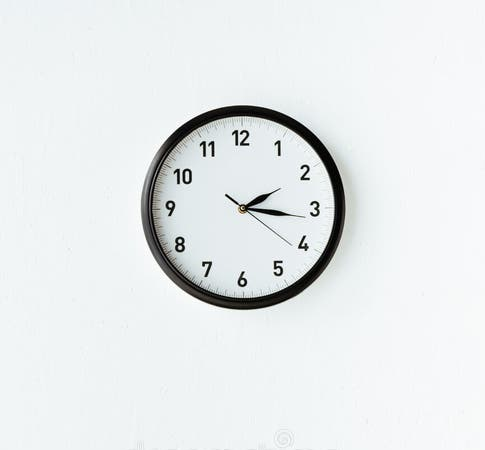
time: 2:16
